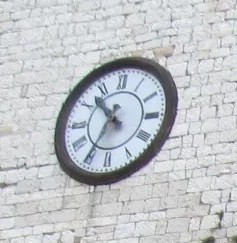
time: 10:35
